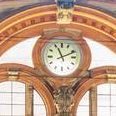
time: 11:11
